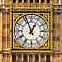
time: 12:56
